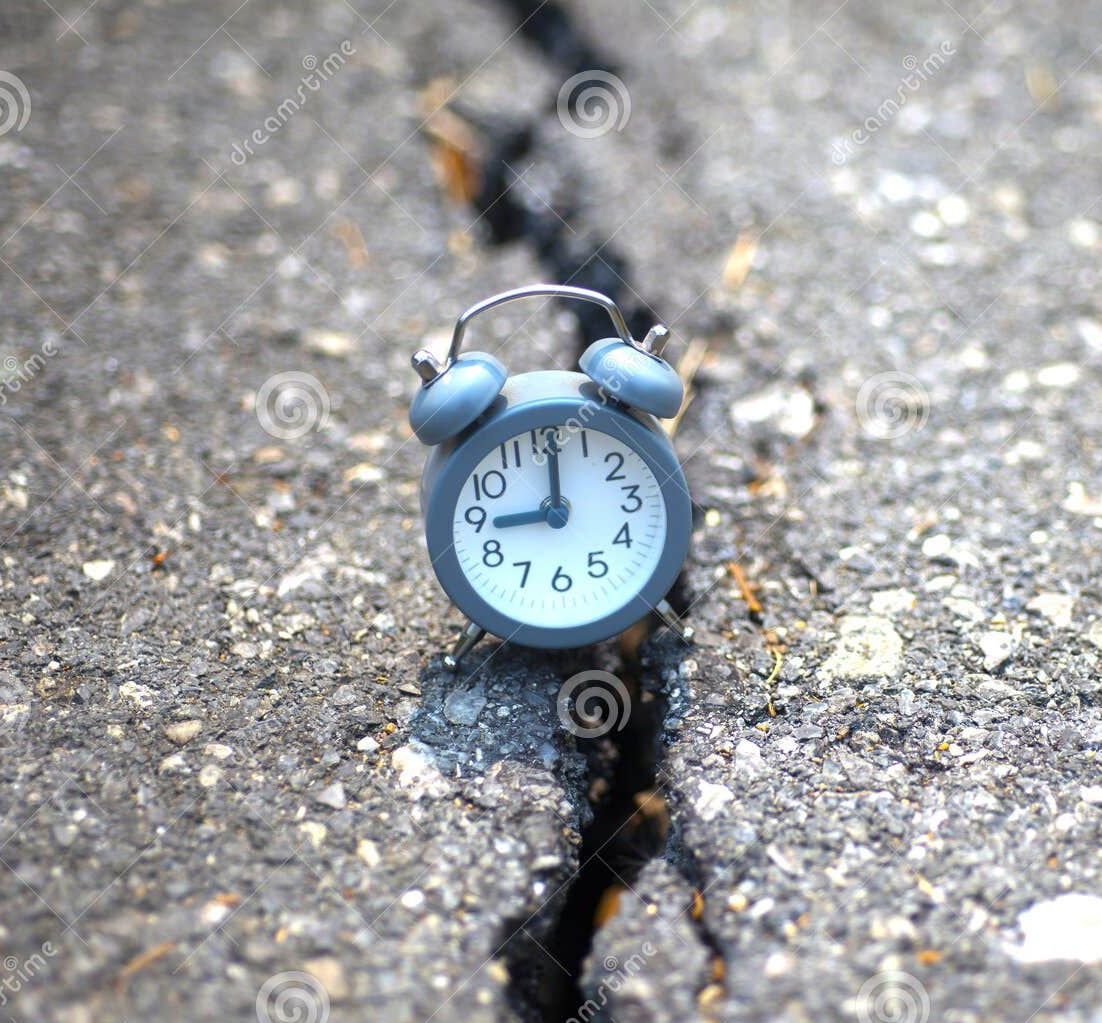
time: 9:01
